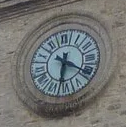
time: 6:20
